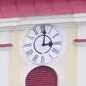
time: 3:01
